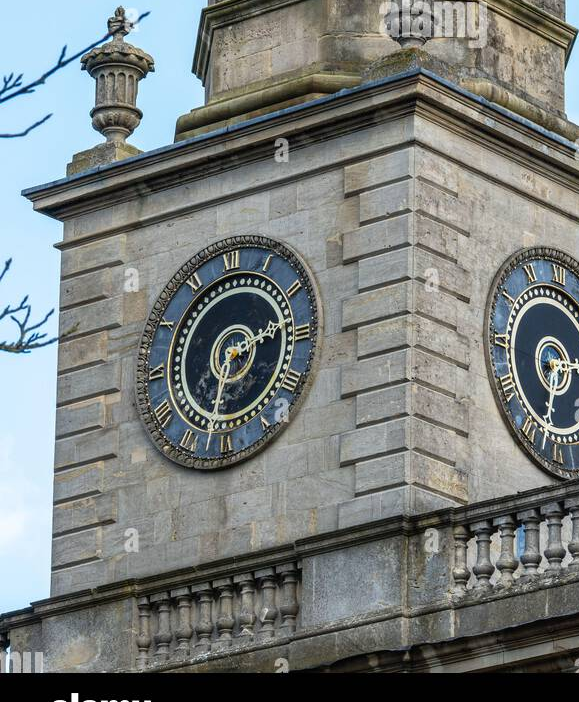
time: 2:32
